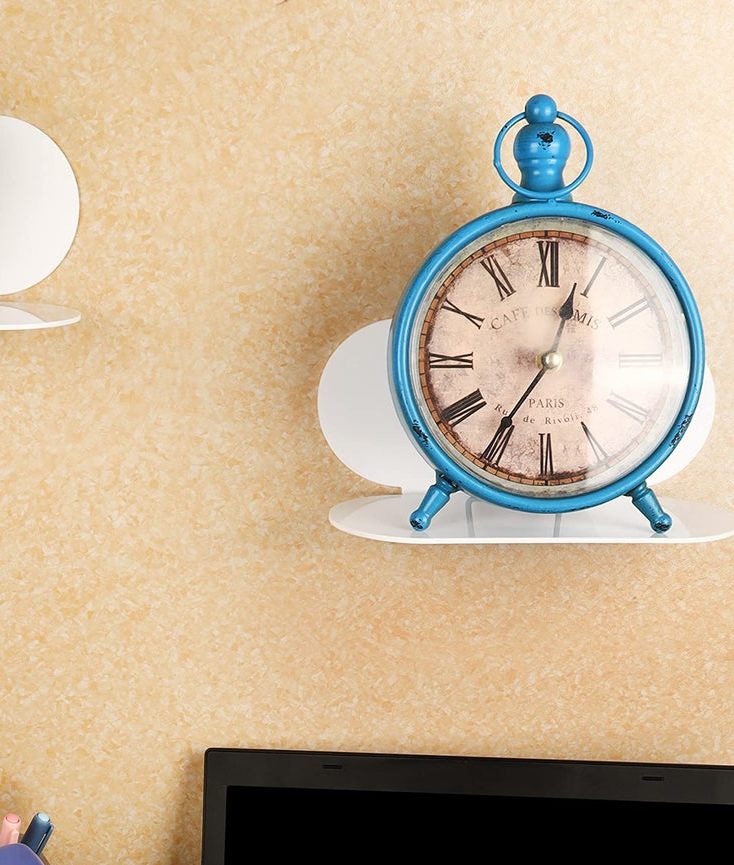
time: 12:35
